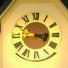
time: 3:43
